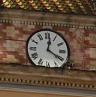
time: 12:20
